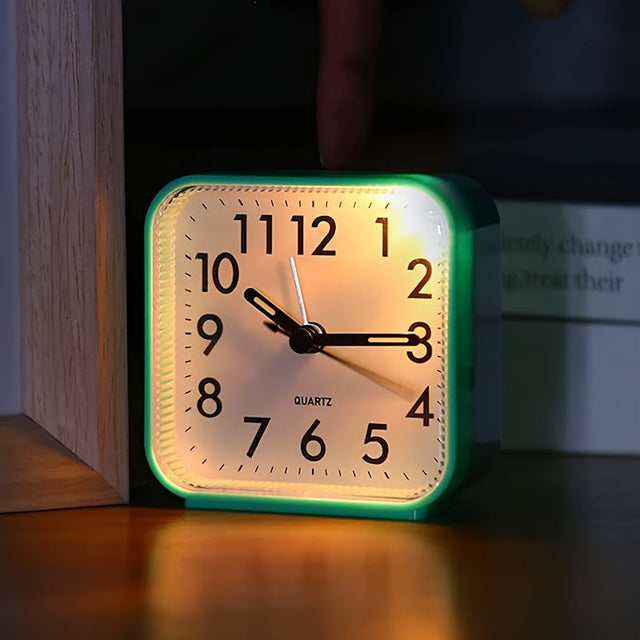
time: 10:14
